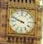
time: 9:48
